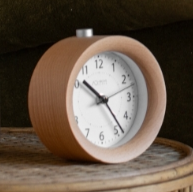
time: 10:23
